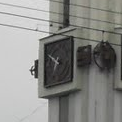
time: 6:49
